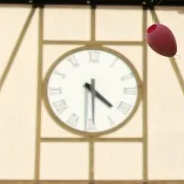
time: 4:29
